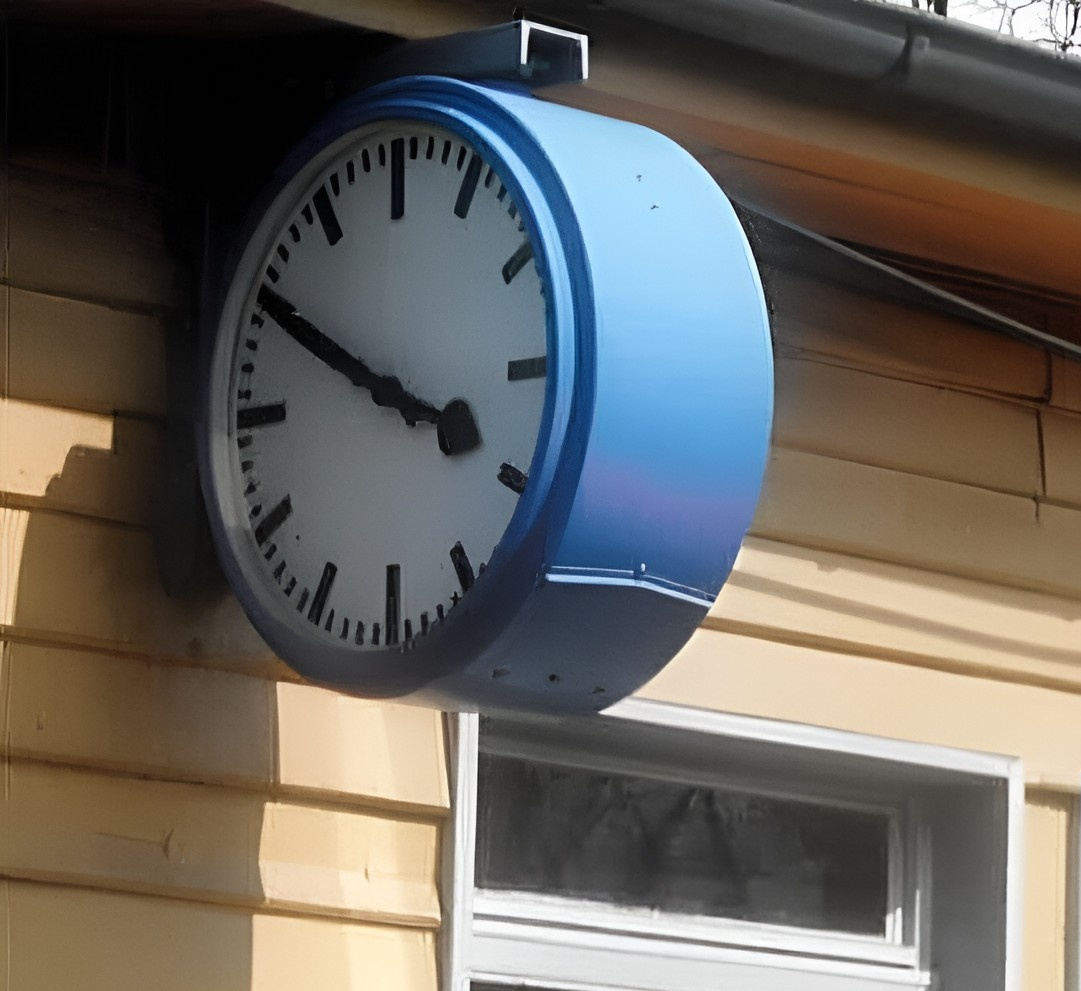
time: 3:49
